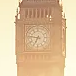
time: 6:46
